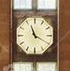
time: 11:19
